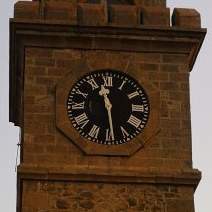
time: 11:29
